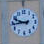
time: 9:43
